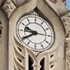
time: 9:39
